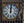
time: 12:01
